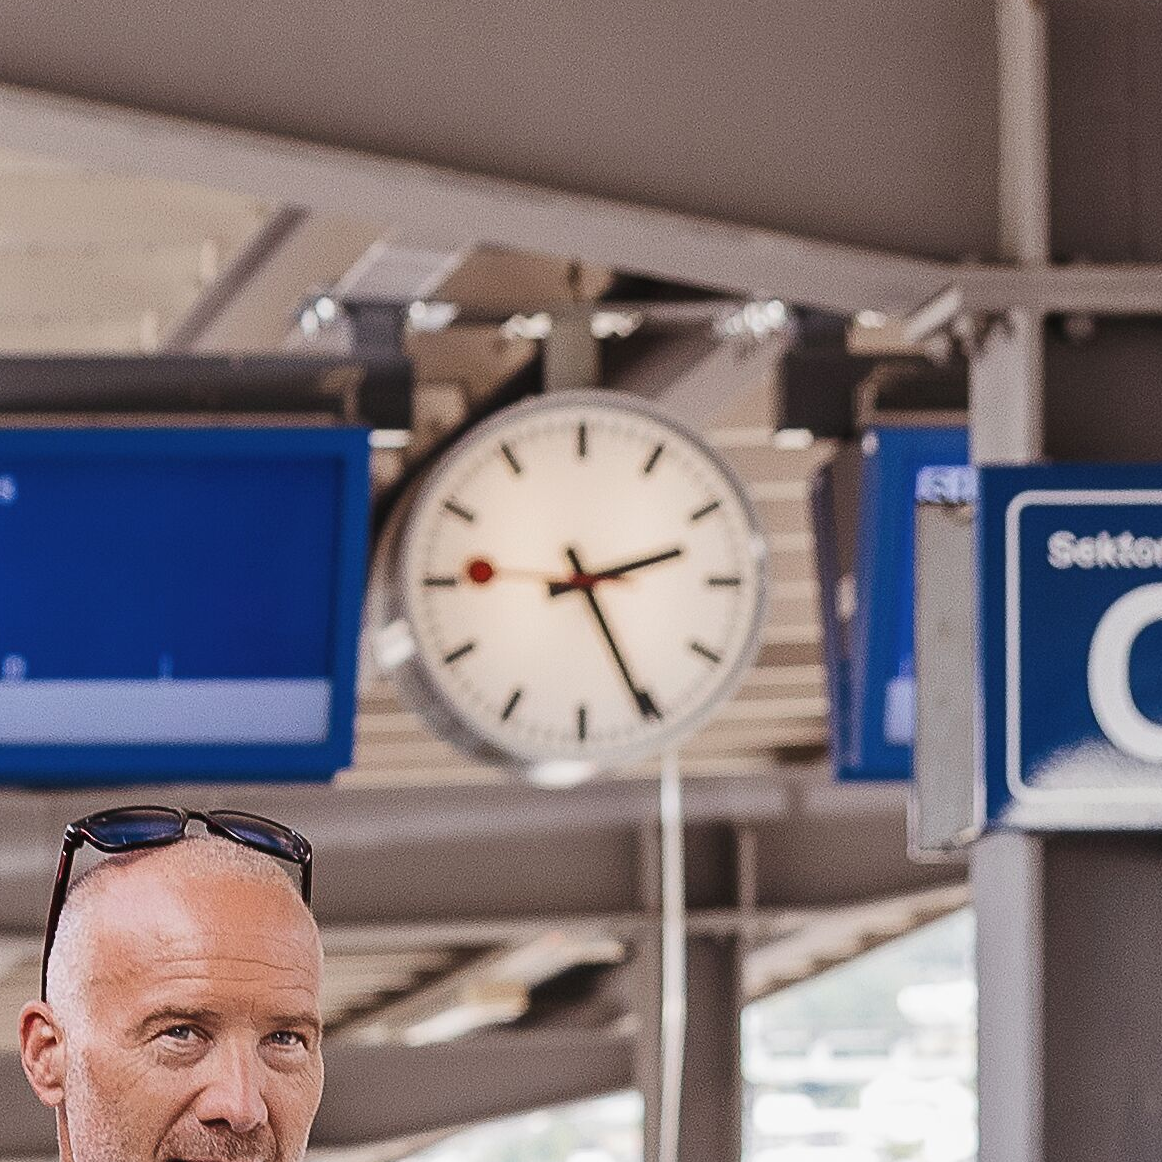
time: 2:25
